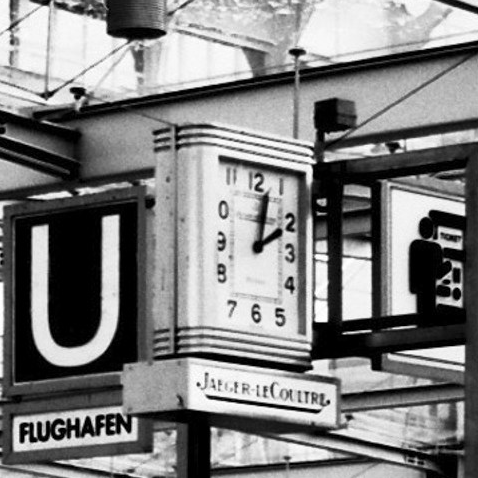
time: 2:02
